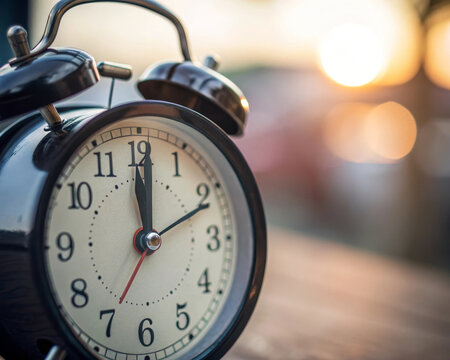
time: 12:00
